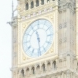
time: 11:28
